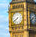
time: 7:39
